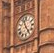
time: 4:57
